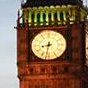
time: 8:32
